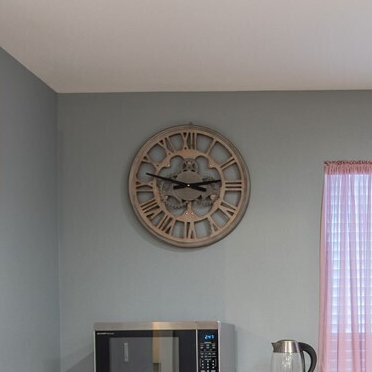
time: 2:47
